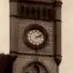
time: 2:09
